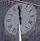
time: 11:59
